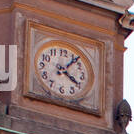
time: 4:06
